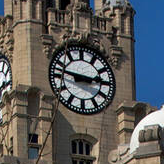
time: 2:46
